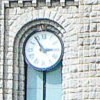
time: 2:54
